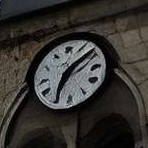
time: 7:09
